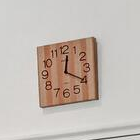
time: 12:19
